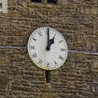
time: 1:01
